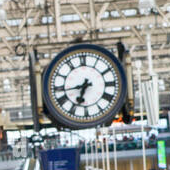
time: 6:43
